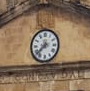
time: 7:37
